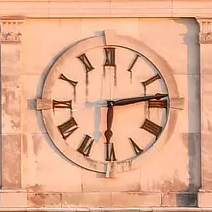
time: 6:13
